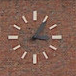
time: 3:05
